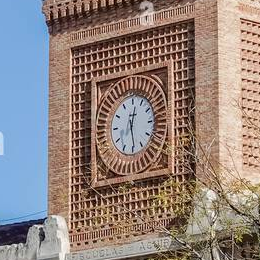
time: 12:28
